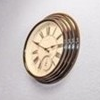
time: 2:49
